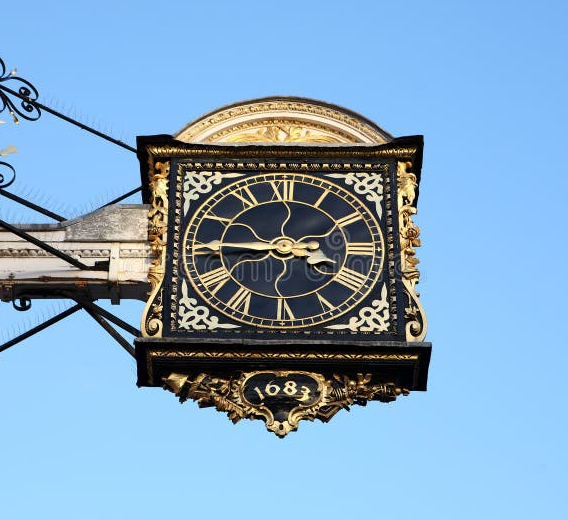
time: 3:45
